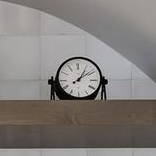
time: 1:09
